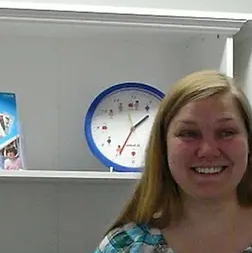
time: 1:34
